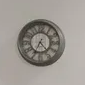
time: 4:34
